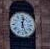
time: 12:26
